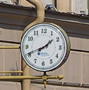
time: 1:41
